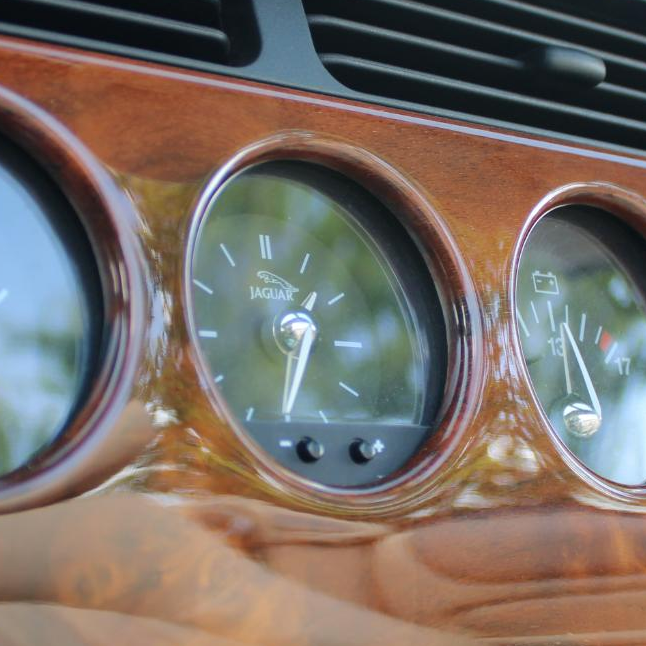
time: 6:32
